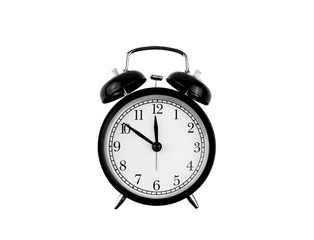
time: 11:50
